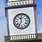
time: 11:35
